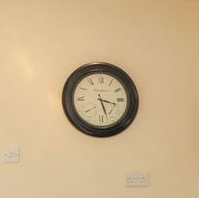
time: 3:27
